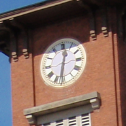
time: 12:32
